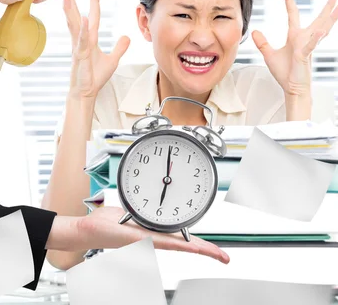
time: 5:59
